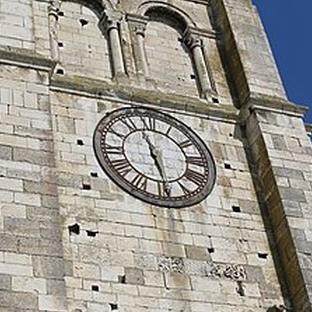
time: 11:28
